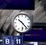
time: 10:23
